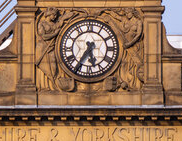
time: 5:35
